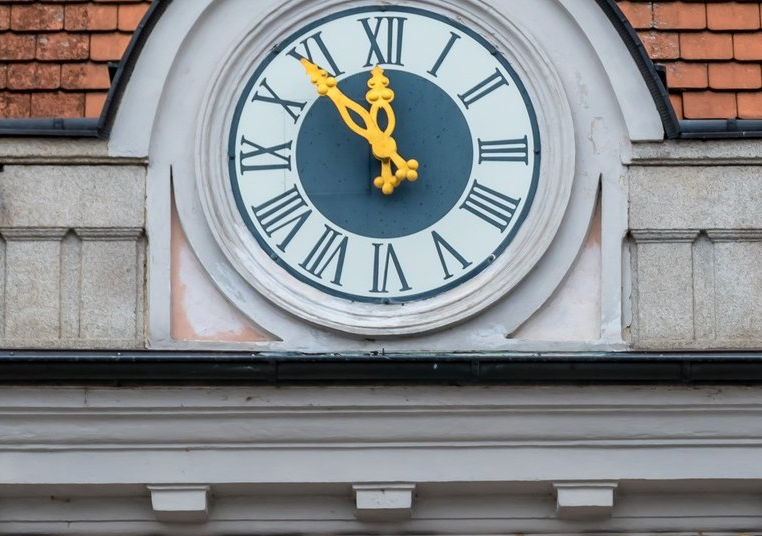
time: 11:53
